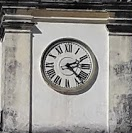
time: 2:22
